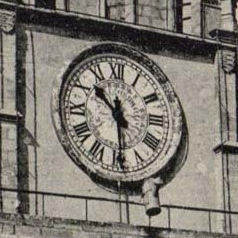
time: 10:29
